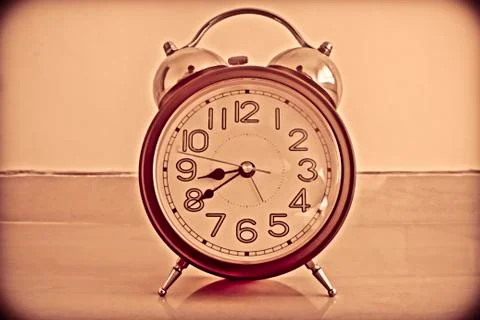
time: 8:39
